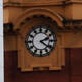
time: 2:21
